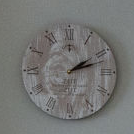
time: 2:12
